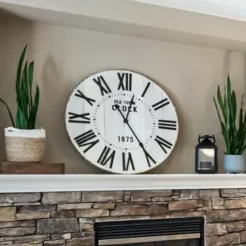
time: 12:24
